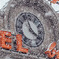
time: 11:21
